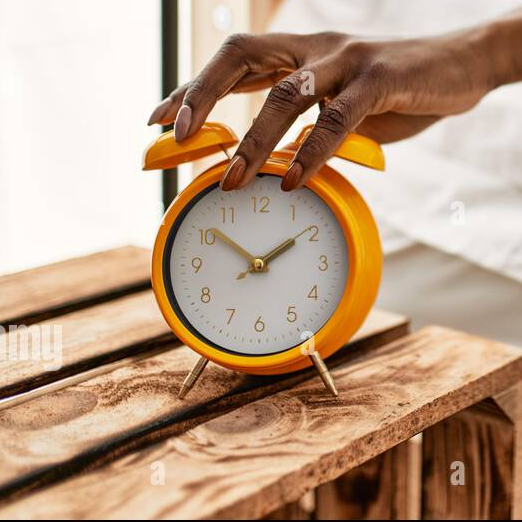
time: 1:51
